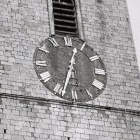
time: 12:33
